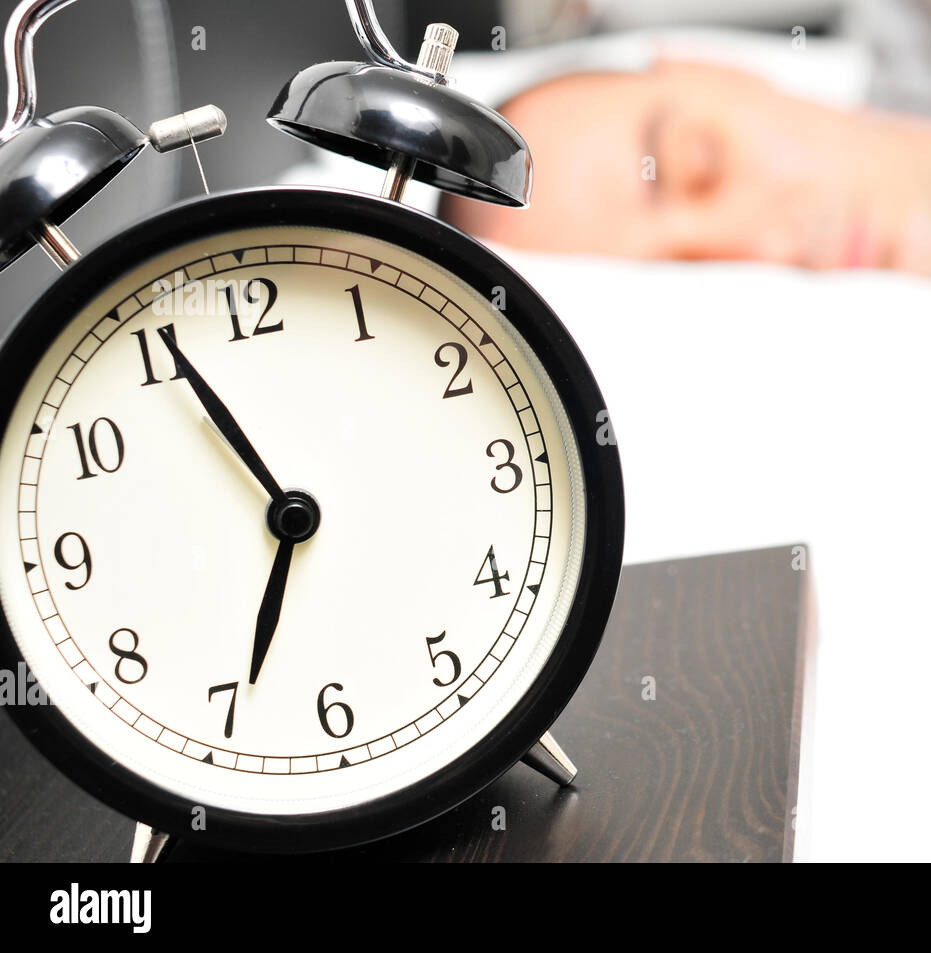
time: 6:55
